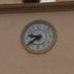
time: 9:39
